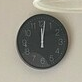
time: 12:01
